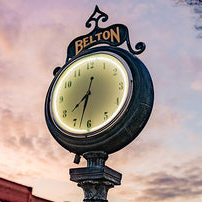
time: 7:32
